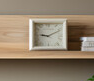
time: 9:10
